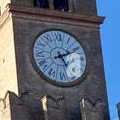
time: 5:10
